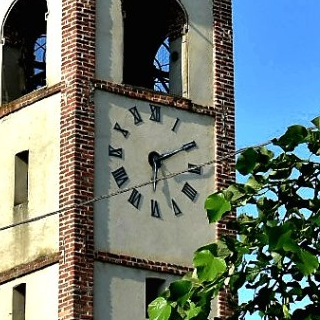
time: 6:10
